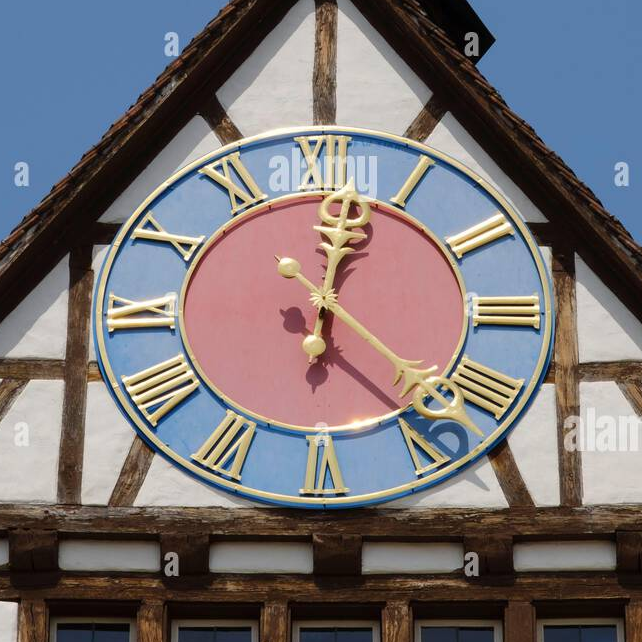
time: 12:23
